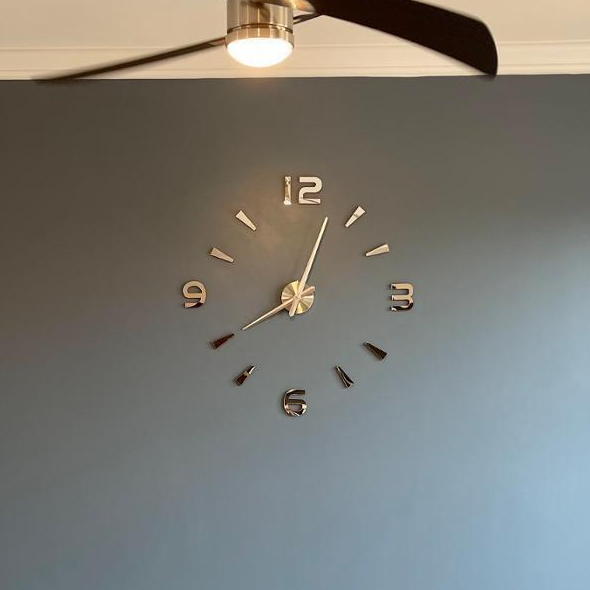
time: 8:03
